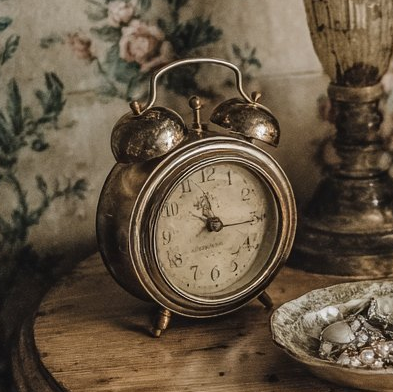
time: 11:16
